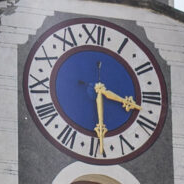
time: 3:29
